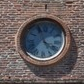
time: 3:56
